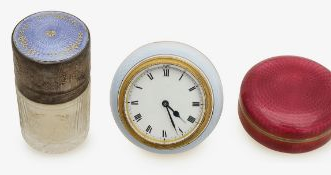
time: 4:26
